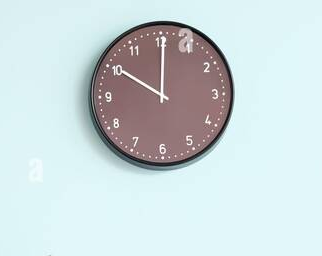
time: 10:00
